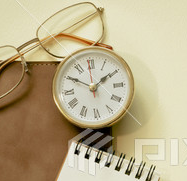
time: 1:50
